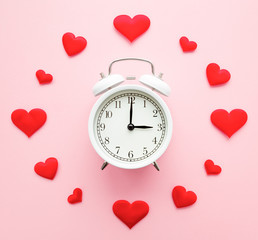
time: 3:00
